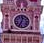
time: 12:34
